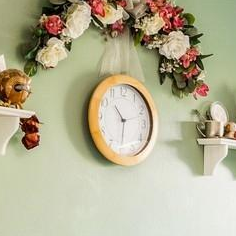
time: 10:30
